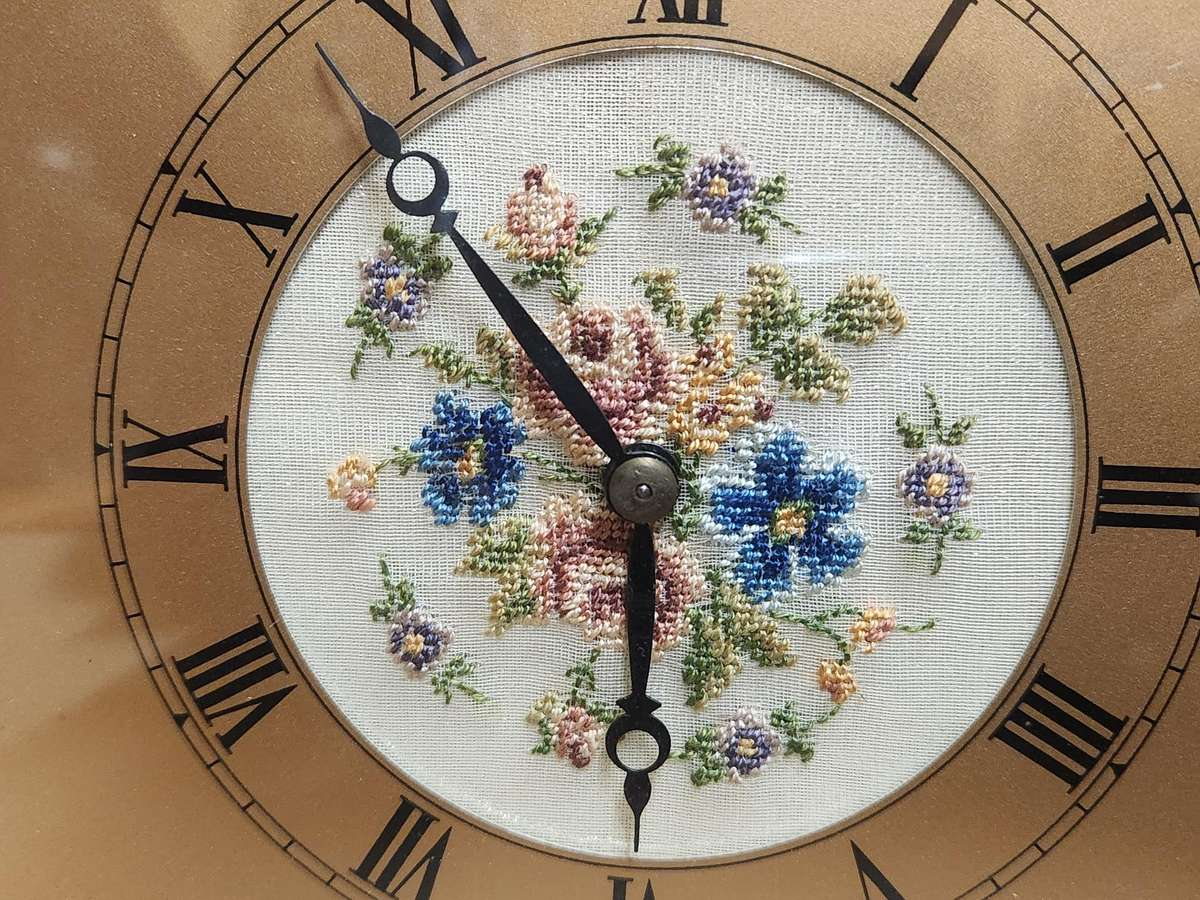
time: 10:30
